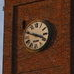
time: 3:48
